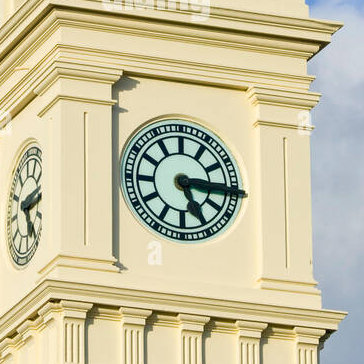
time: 5:15
